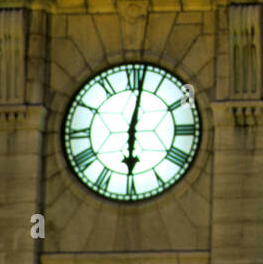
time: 6:01
